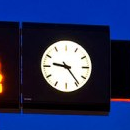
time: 9:23
